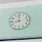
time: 11:44
